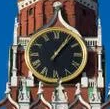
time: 1:06
